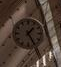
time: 1:24
